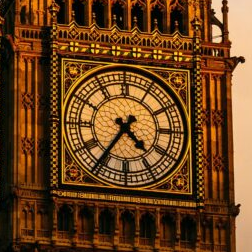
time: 4:35
